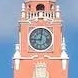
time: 9:01
